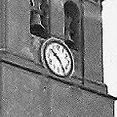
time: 10:24
